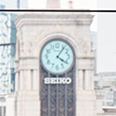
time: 4:06
